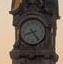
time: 8:24
